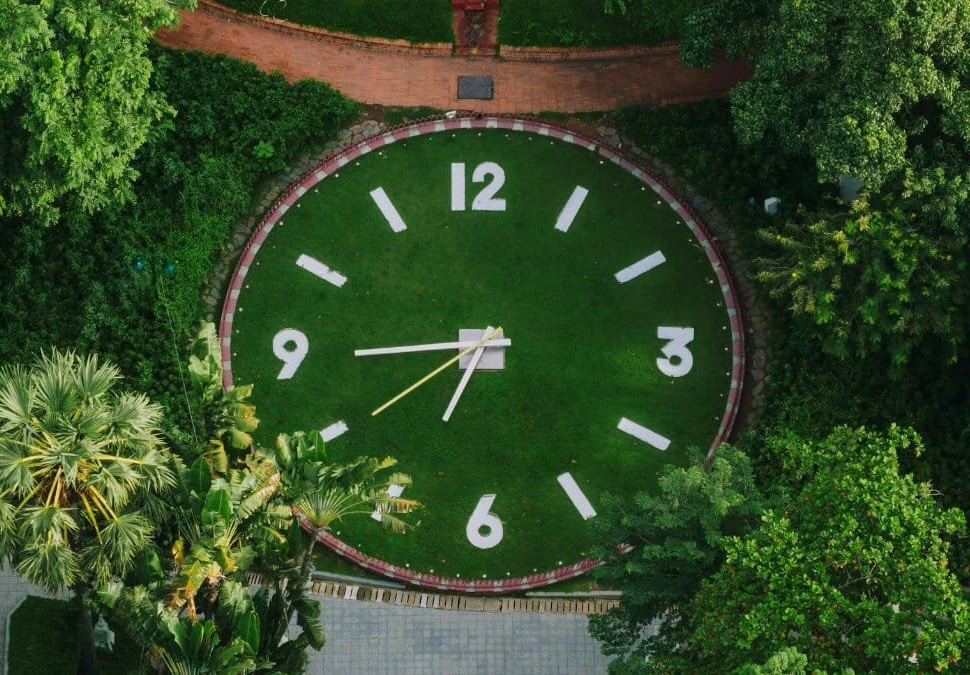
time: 6:44
